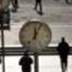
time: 12:04
